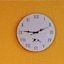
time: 9:11
